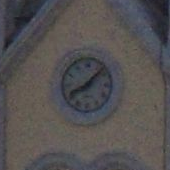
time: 8:07
